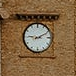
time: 9:10
